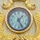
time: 1:25
